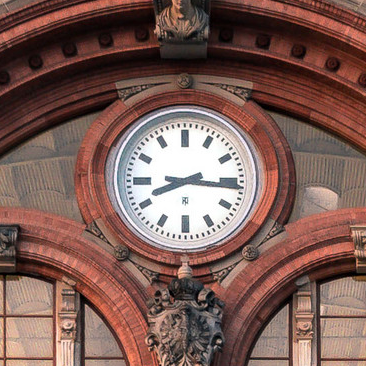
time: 8:16
